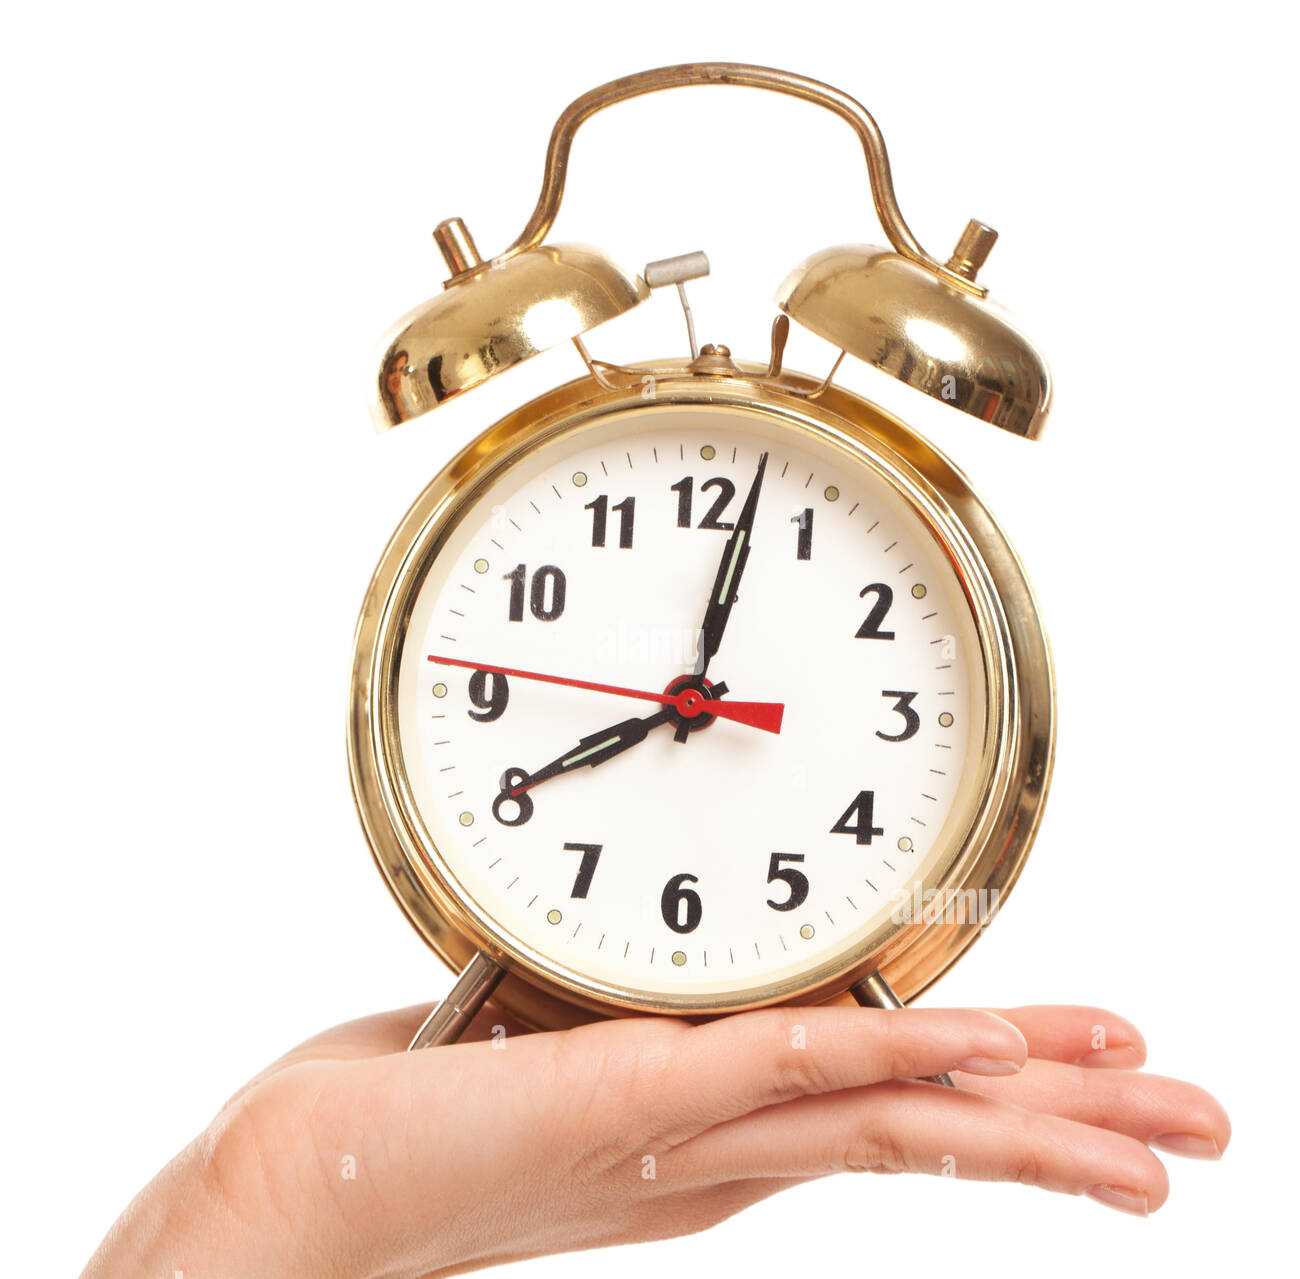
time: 8:02
